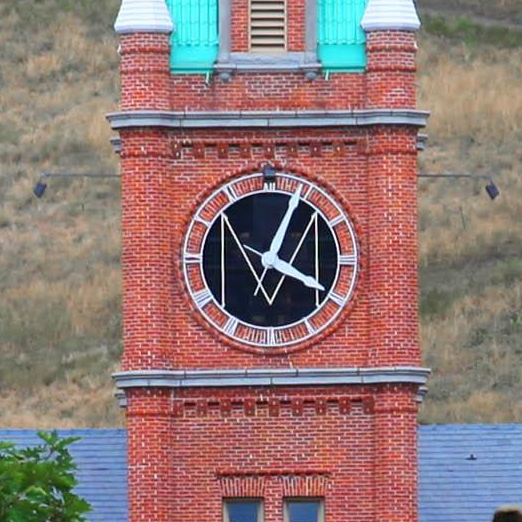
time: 4:04
